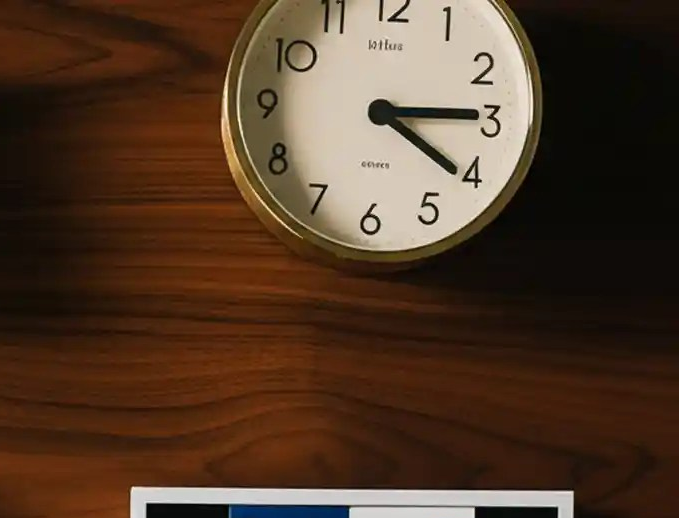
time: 4:14
